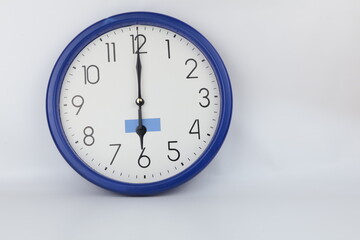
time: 5:59
